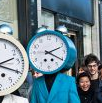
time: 2:20
